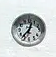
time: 12:36
